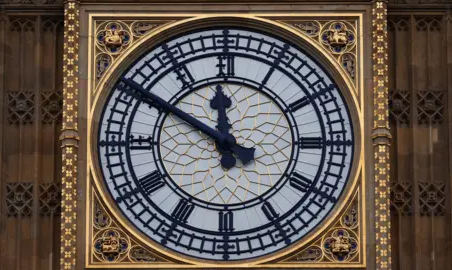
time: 11:50
